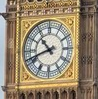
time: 10:41
